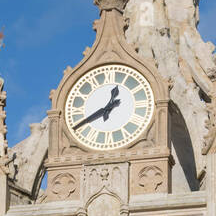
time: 12:39
